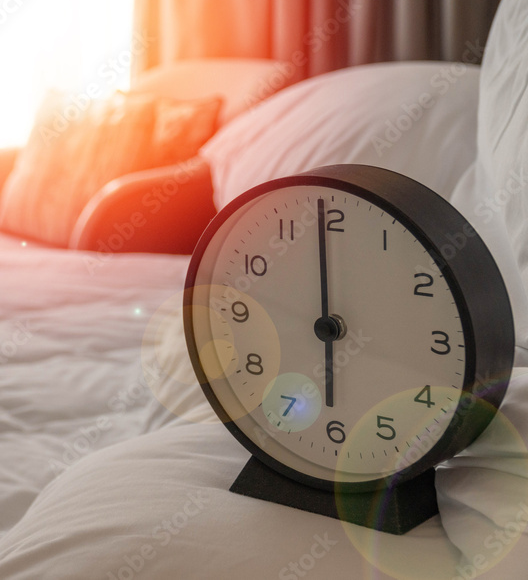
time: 5:59
